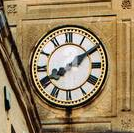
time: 8:09
